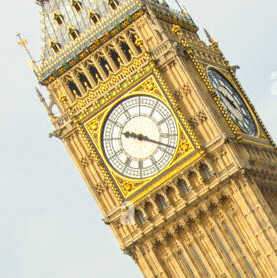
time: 9:18
